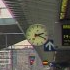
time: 2:18
